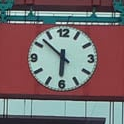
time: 5:52
